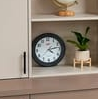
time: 4:12
